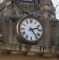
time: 2:23
